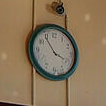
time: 3:54
